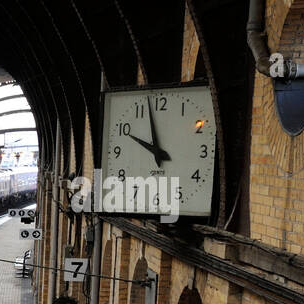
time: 9:57
